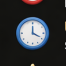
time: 3:59
